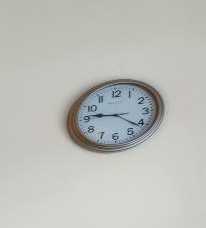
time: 9:21
